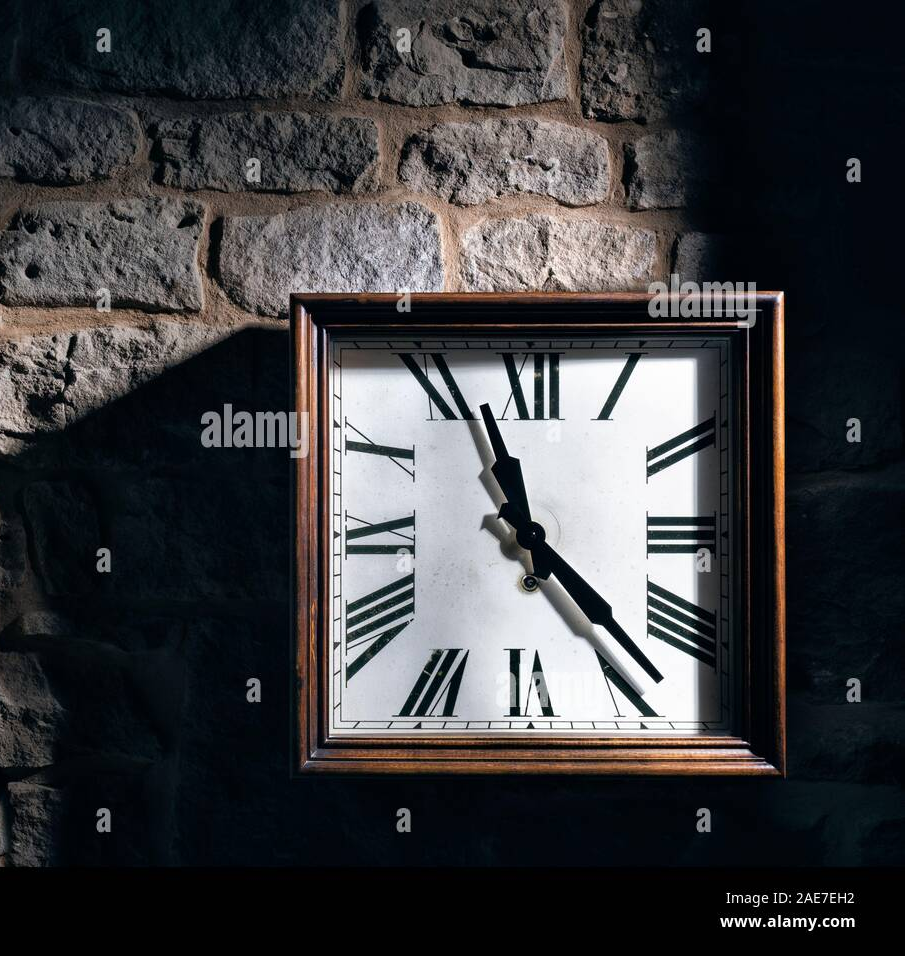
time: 11:22
